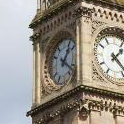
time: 1:20
